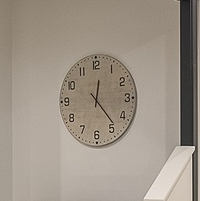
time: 12:23
